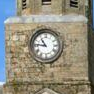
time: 10:46
